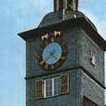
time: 4:37
